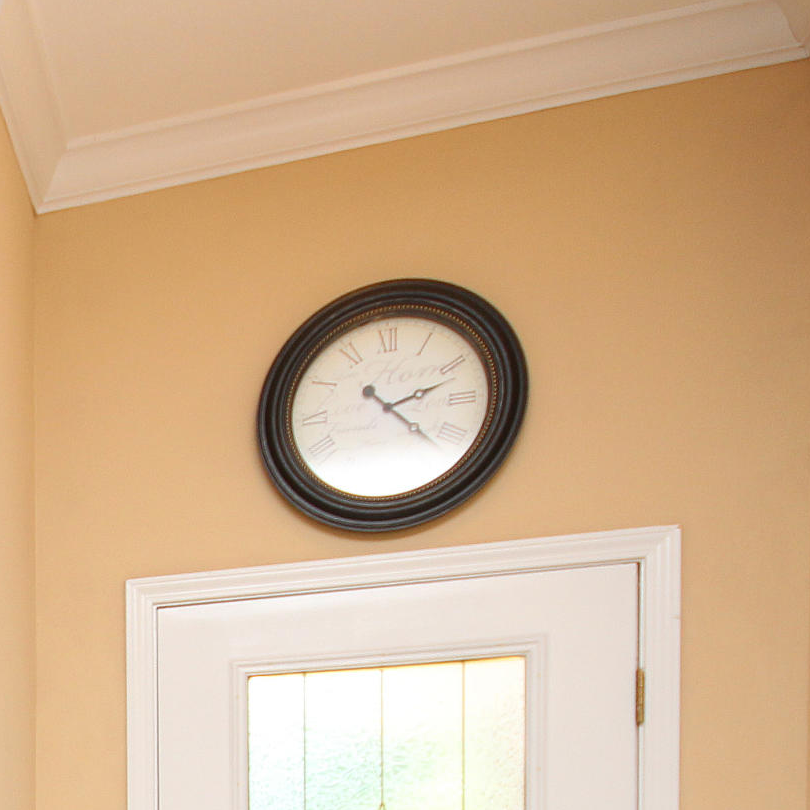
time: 2:21
